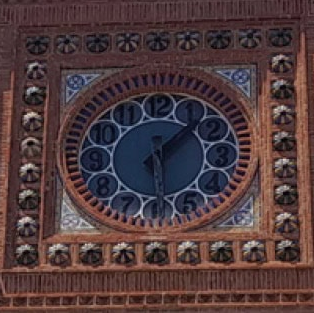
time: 1:28
